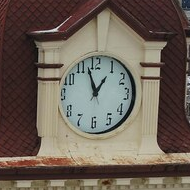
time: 12:57
